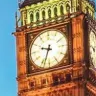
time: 9:33
